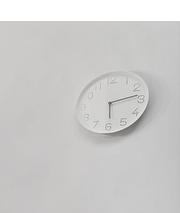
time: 6:13
